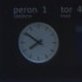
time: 7:50
